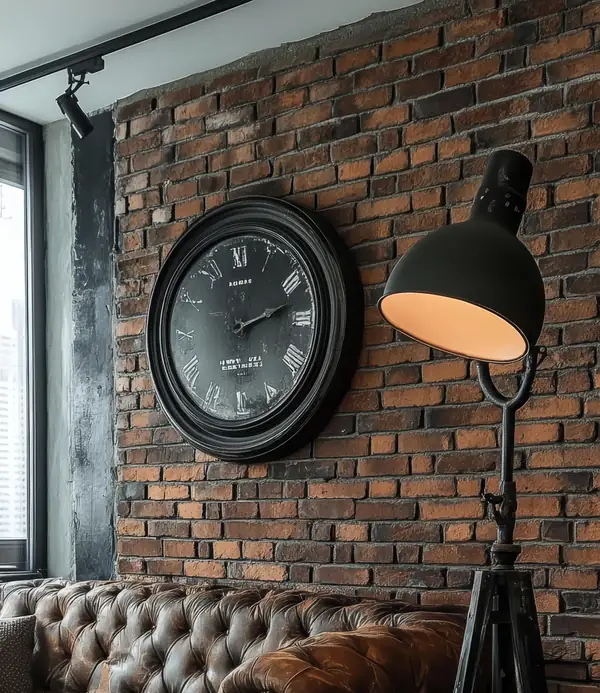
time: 2:12
